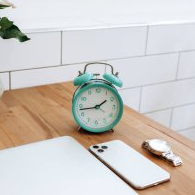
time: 1:43
